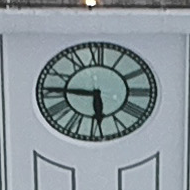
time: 5:45
